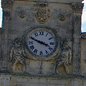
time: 3:48
